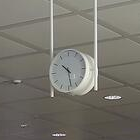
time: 10:28
